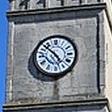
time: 4:52
